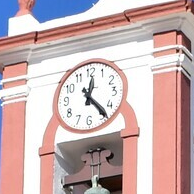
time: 12:23
